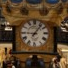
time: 9:06
